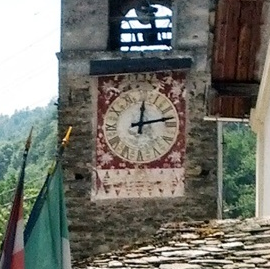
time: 12:13
